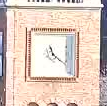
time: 11:21
